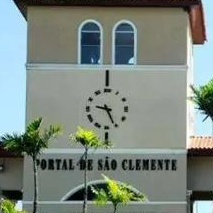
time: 9:25
